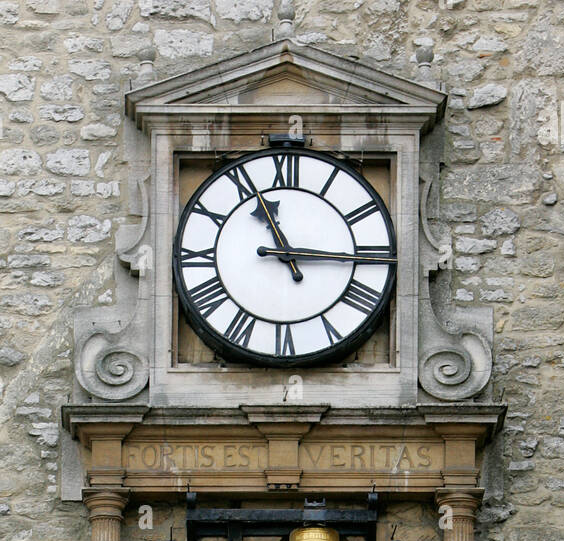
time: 11:15
